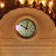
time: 10:02
